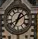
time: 1:10
